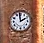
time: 1:59
